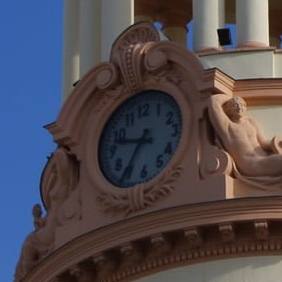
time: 9:35
